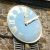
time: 12:09
